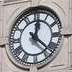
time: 12:21
